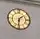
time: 1:31
